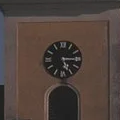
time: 5:14
